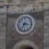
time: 7:16
